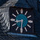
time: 8:30
